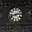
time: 2:42
